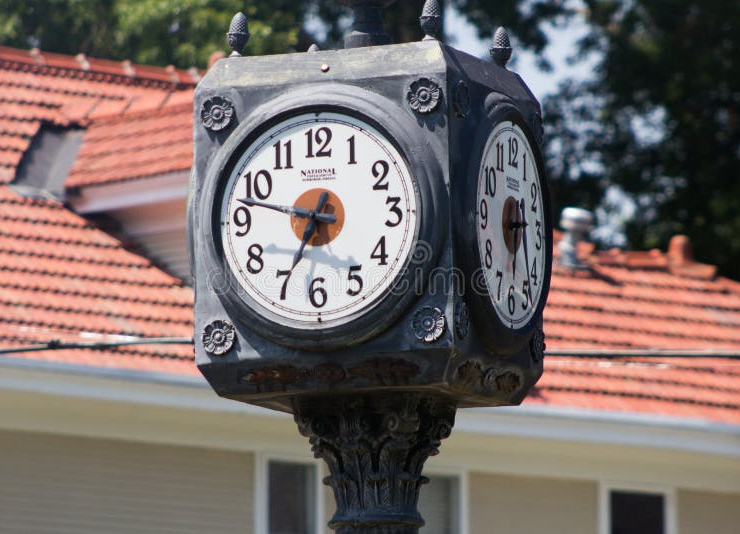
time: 6:47
